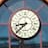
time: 8:38
